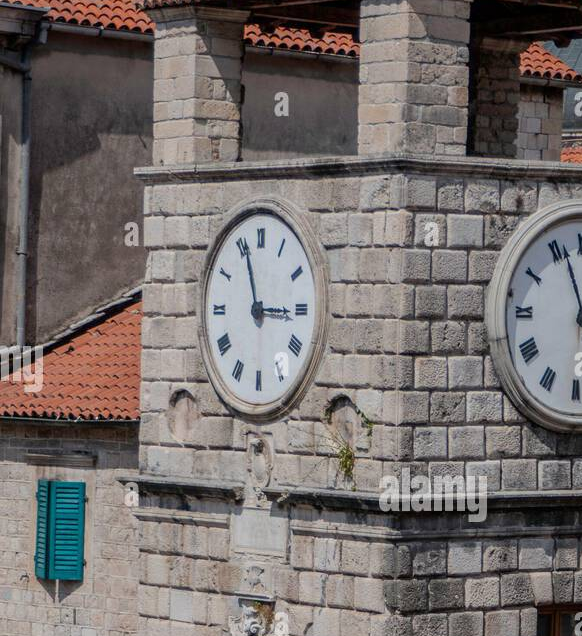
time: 2:56
